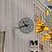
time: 10:42
